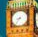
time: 8:36
